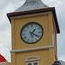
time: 1:20
